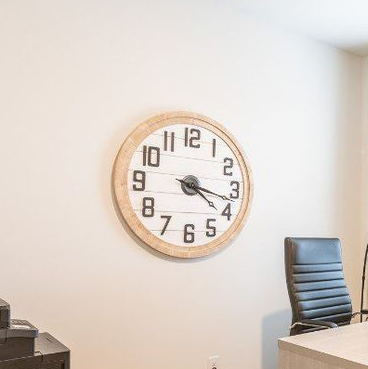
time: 4:17
